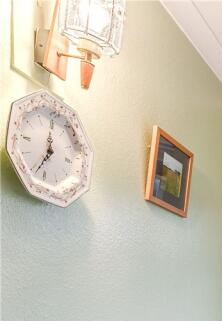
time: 12:37
